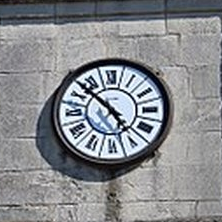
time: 4:52
